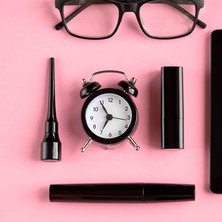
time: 6:54
